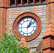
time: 1:08
